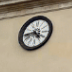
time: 4:43
